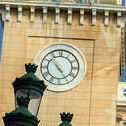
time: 4:52
